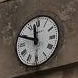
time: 11:48
